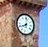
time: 8:02
